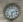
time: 6:13
